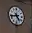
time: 4:42
